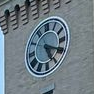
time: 5:19
